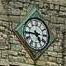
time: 4:45
